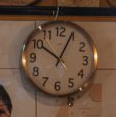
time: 10:04
